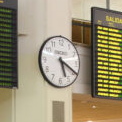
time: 5:19
